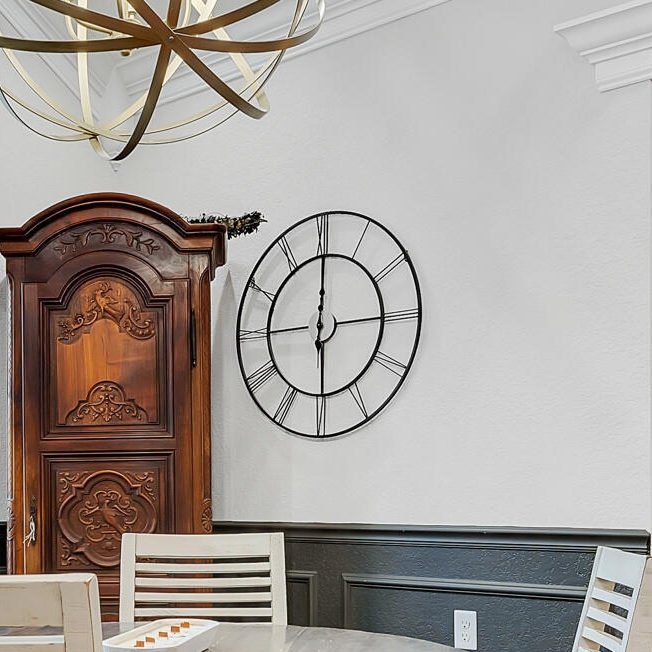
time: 6:00
